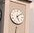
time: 5:08
